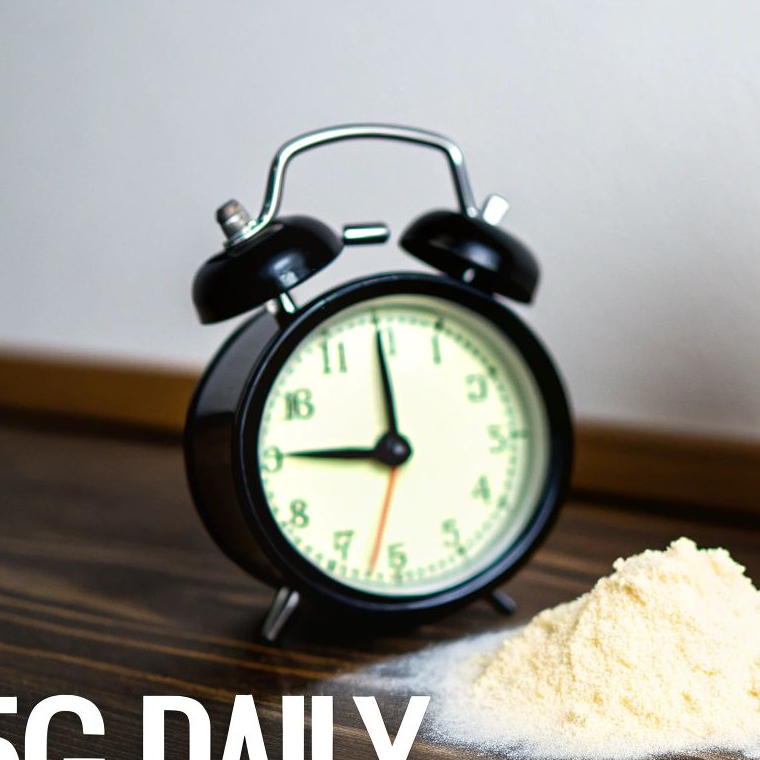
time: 8:59
